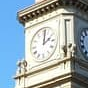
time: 2:01
